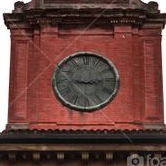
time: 9:14
